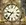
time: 9:36
